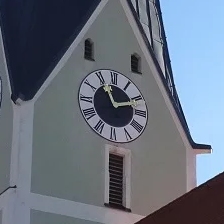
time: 11:12
